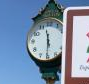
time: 11:30
